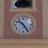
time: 10:24
